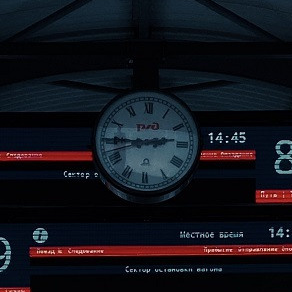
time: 2:45
